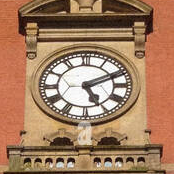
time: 5:10
